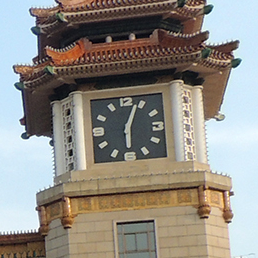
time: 6:03
